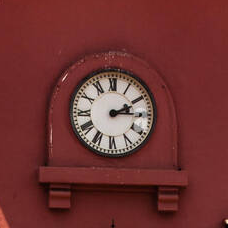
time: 2:15
